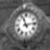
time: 11:13
